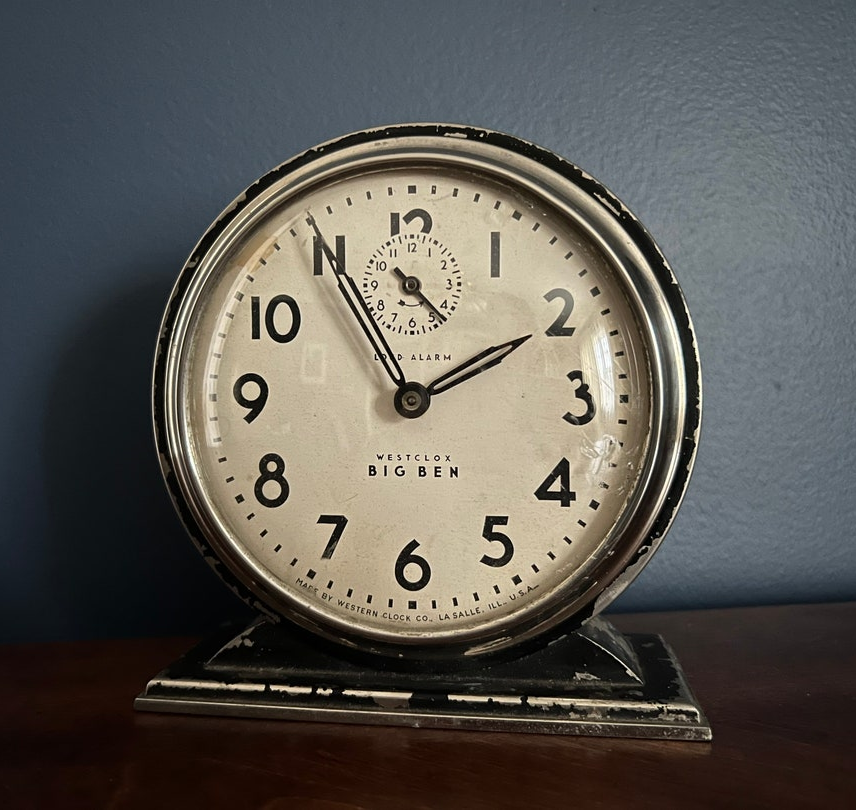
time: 1:55
